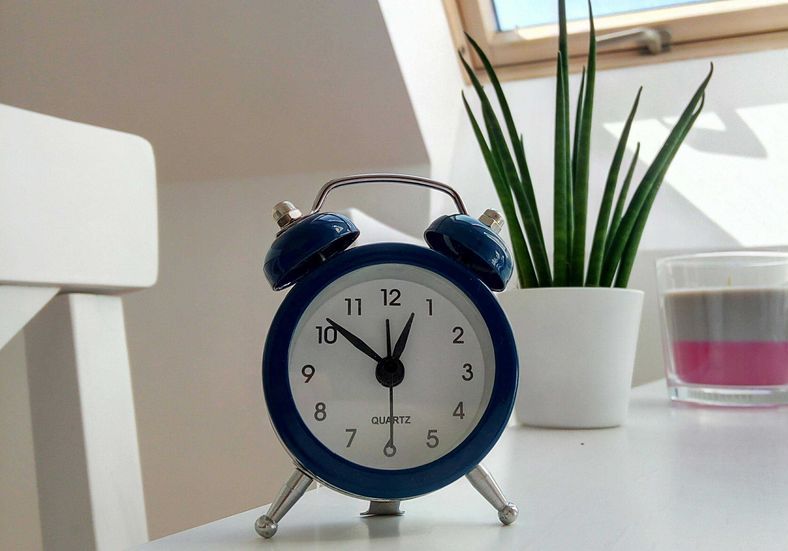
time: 12:51
